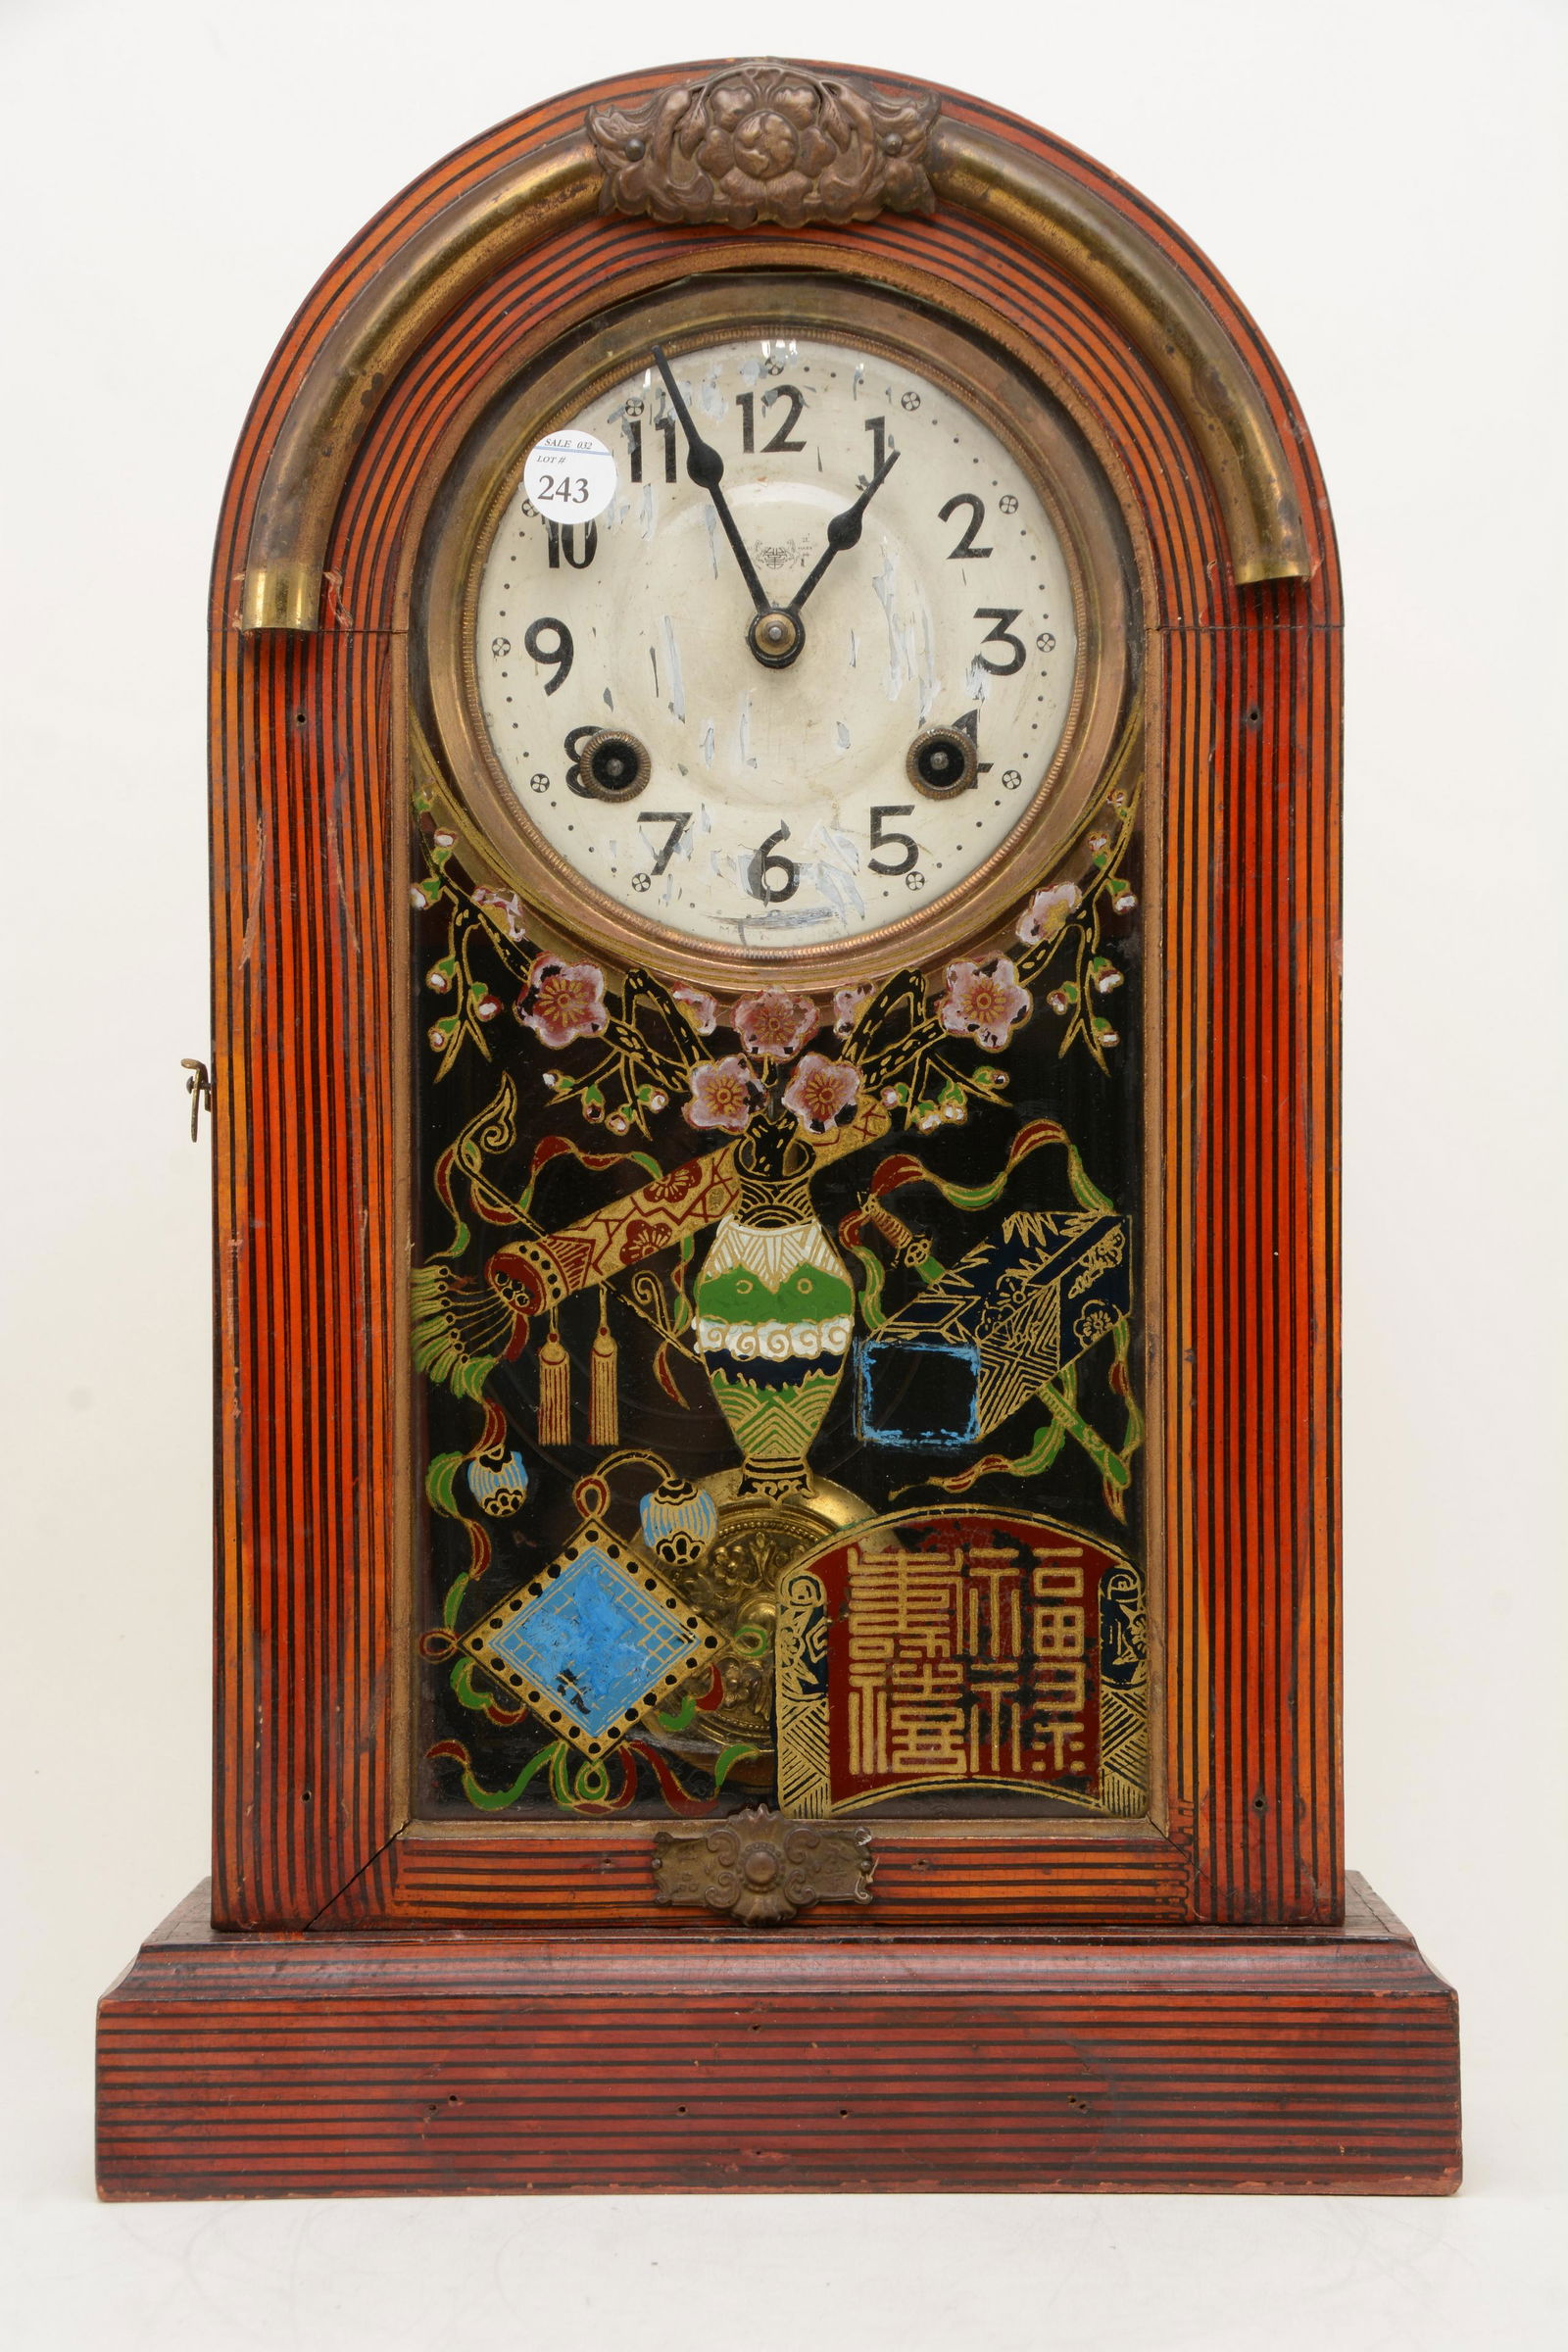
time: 12:55
